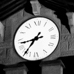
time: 8:35
